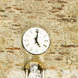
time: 5:01
